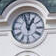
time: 12:57
